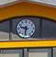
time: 9:32
